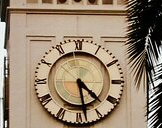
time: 4:28
